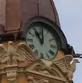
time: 11:01
